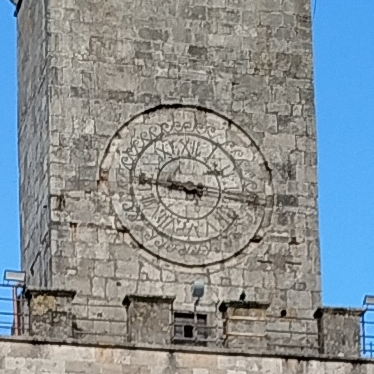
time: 8:45
